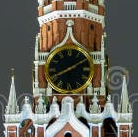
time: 8:09
